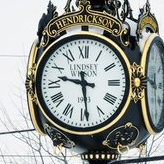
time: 9:28
